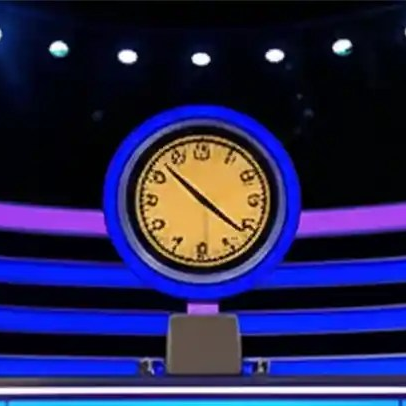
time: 10:21
